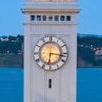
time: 6:16
